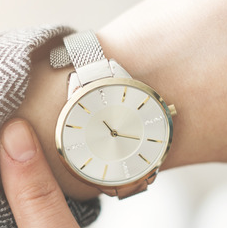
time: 10:15
